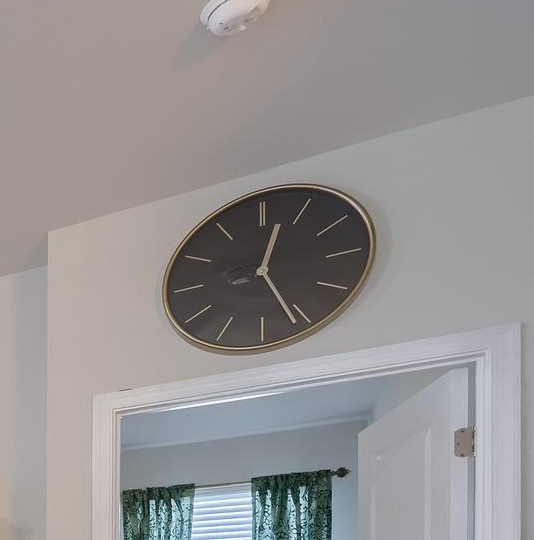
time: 12:26
